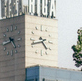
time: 4:42
